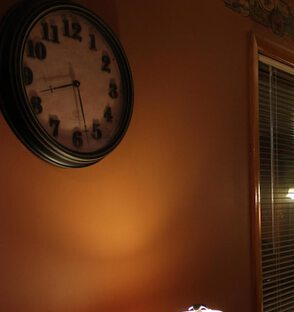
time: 8:27
